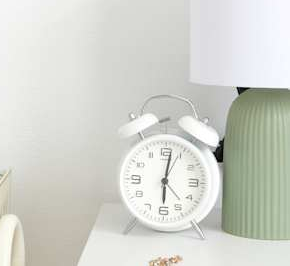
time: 6:01
